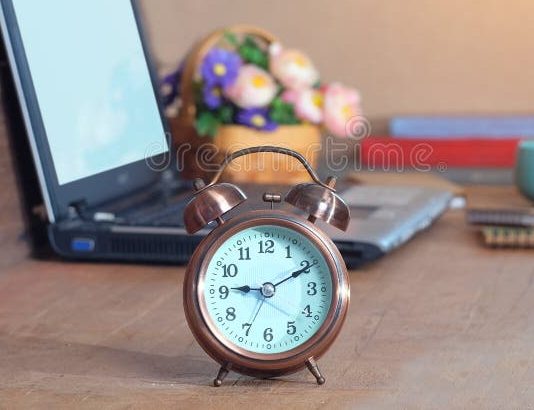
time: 9:10
